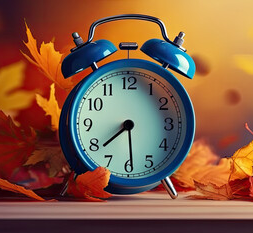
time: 7:29
